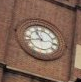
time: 10:42
